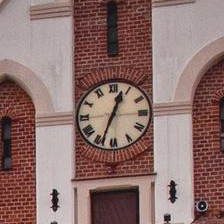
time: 12:33
